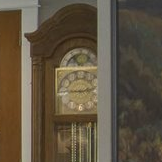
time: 2:45
